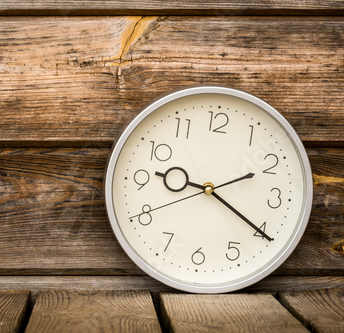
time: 9:20
